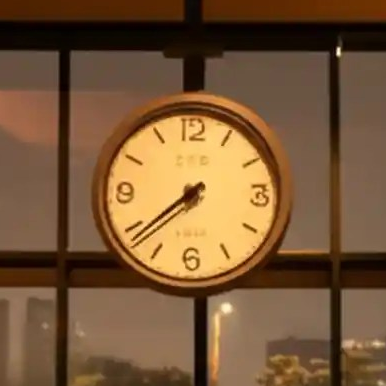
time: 7:38
